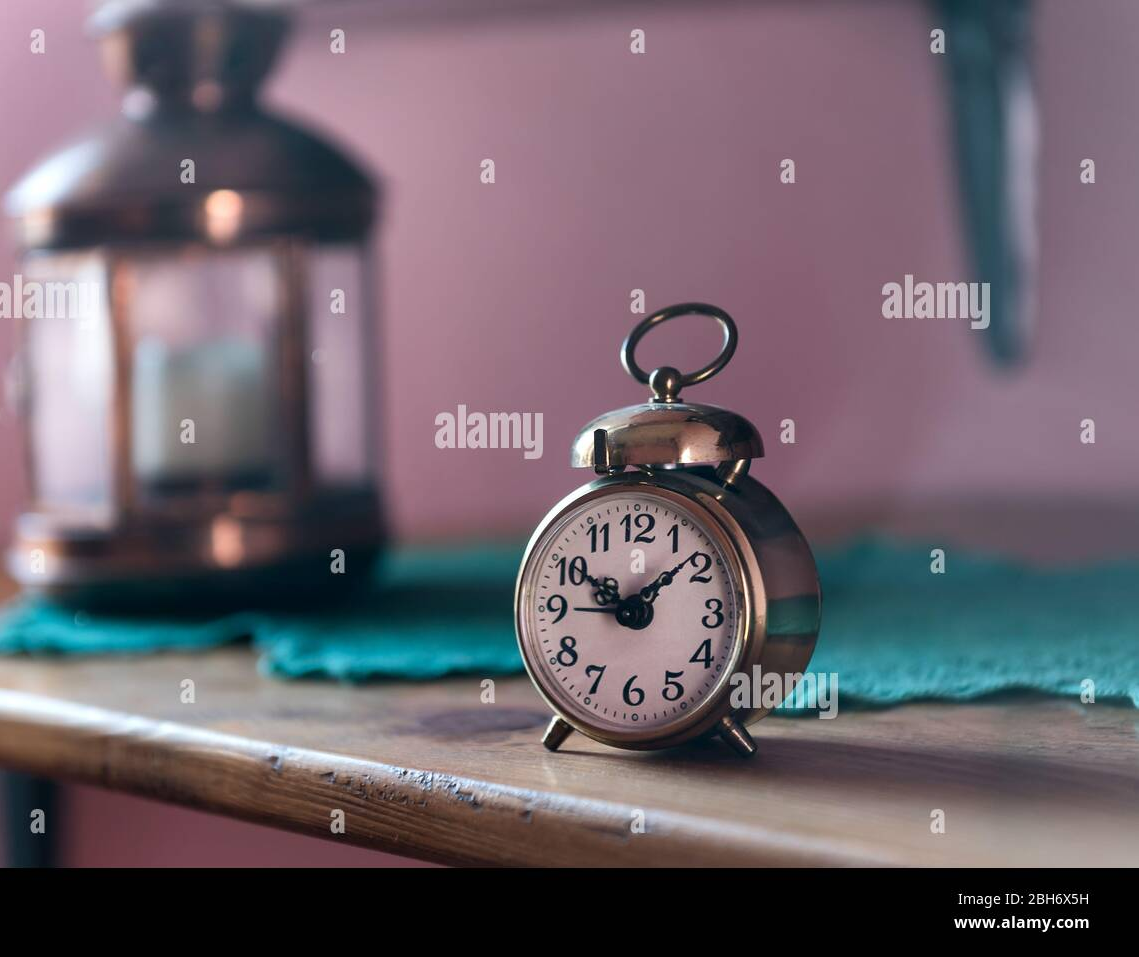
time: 10:08
